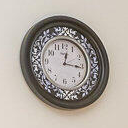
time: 12:16
